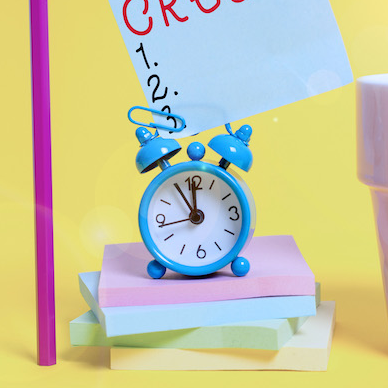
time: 11:54
